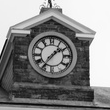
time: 1:36
